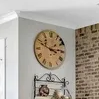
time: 2:48
